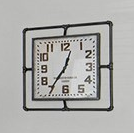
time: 12:35
